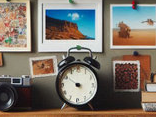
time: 9:51
